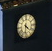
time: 4:31
